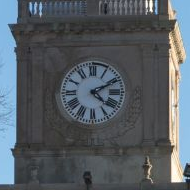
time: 4:10
